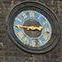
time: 8:45
